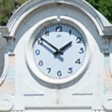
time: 1:51
